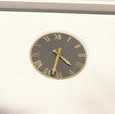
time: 4:32
